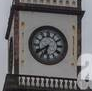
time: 6:39
